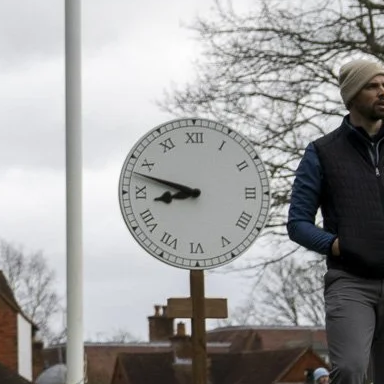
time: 8:48
